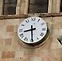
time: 8:29
